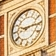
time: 9:14
